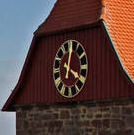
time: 4:01
